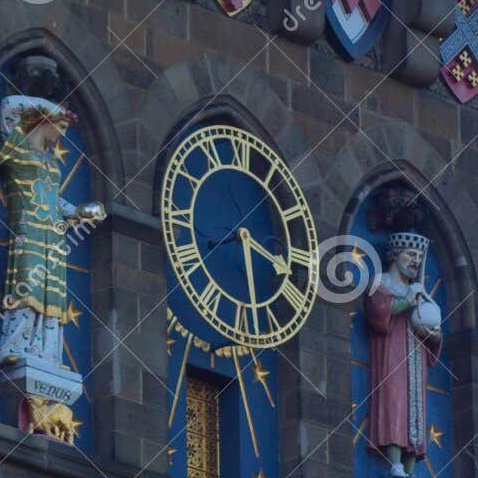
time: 3:28
